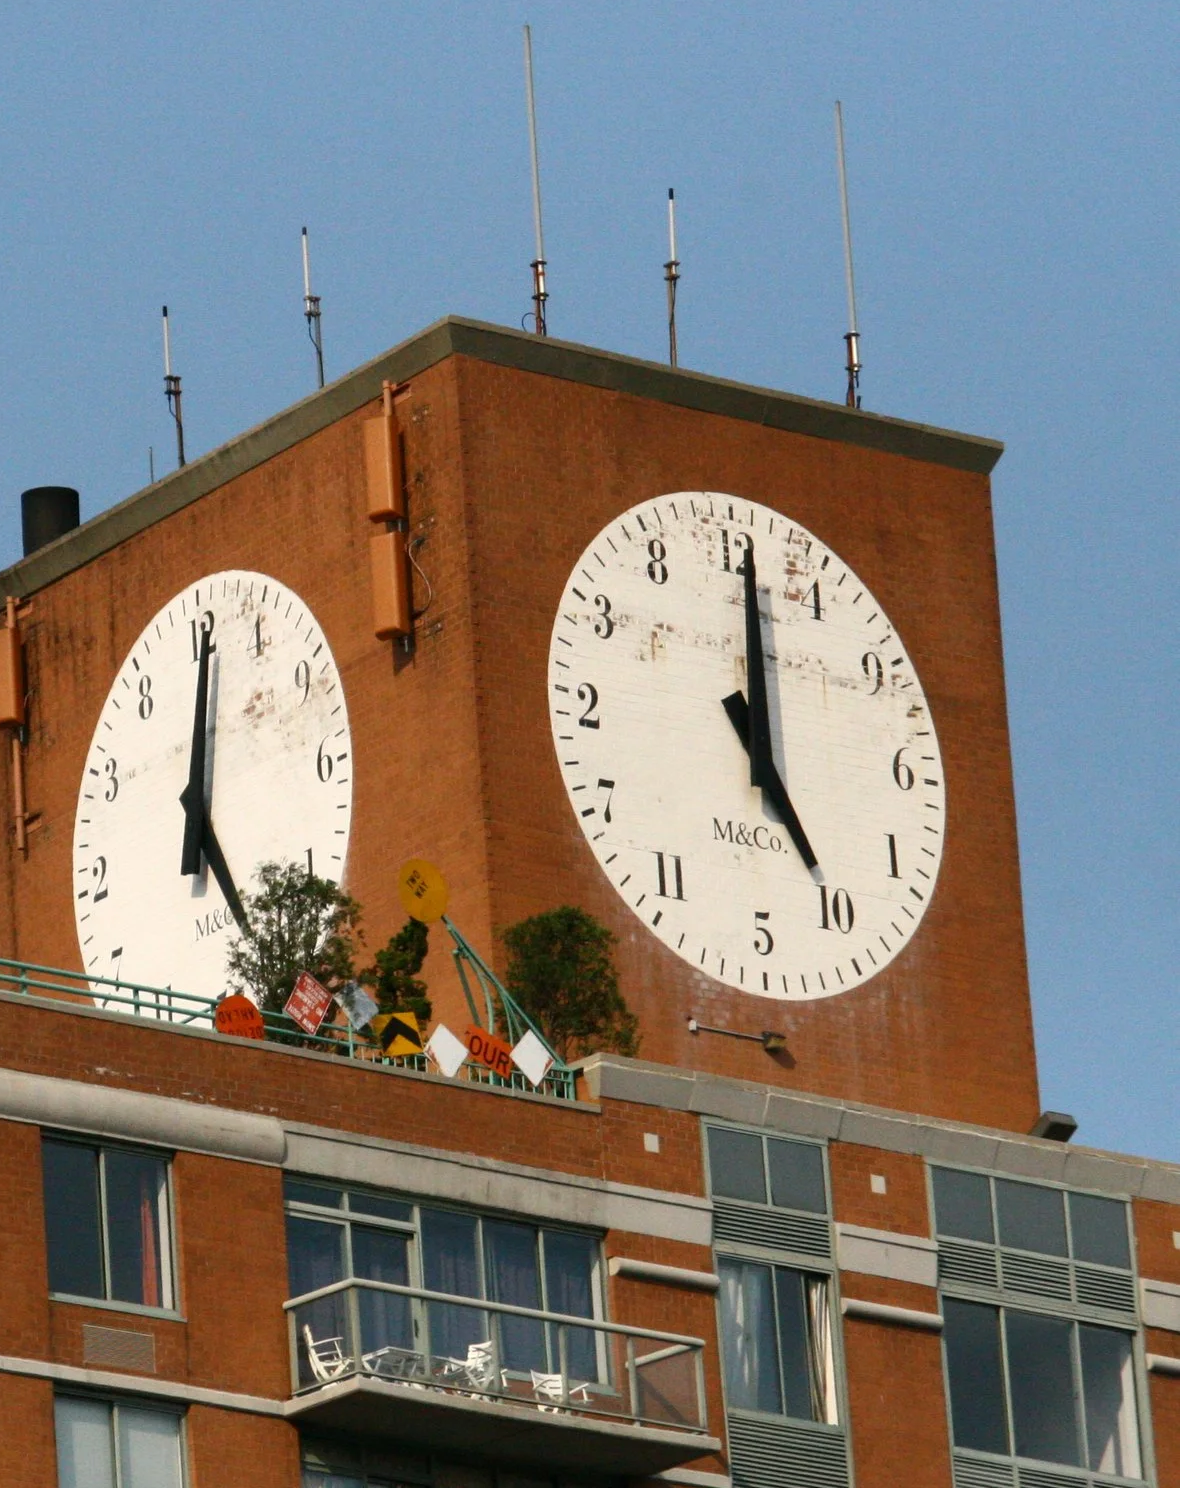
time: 5:00
